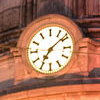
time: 7:08
